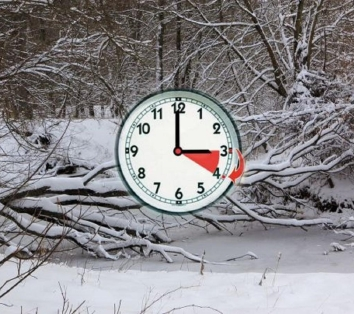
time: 2:59
